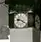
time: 9:20
